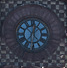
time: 12:30
